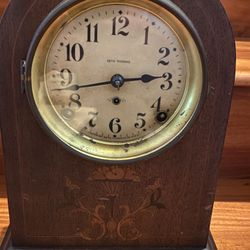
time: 2:42
